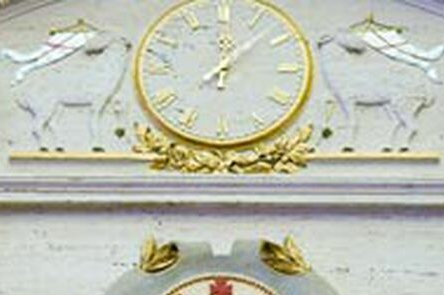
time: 12:07
